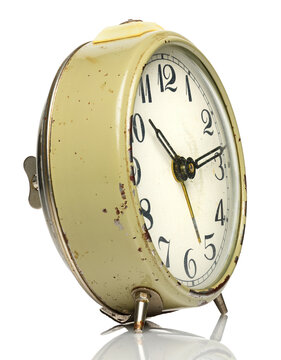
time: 10:13
